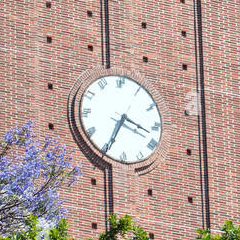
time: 3:34
